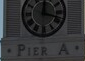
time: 12:17
